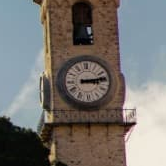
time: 3:13
